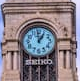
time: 12:58
